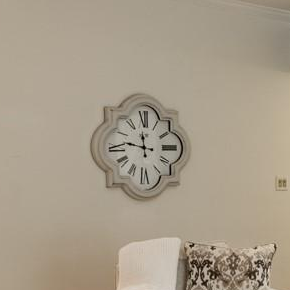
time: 11:47
